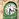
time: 4:31
